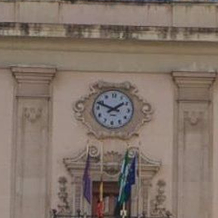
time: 1:49
